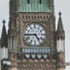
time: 4:44
